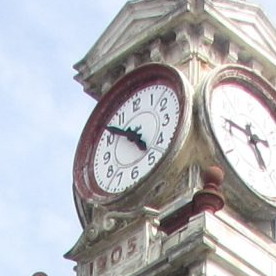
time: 4:51
